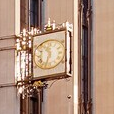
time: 11:33
